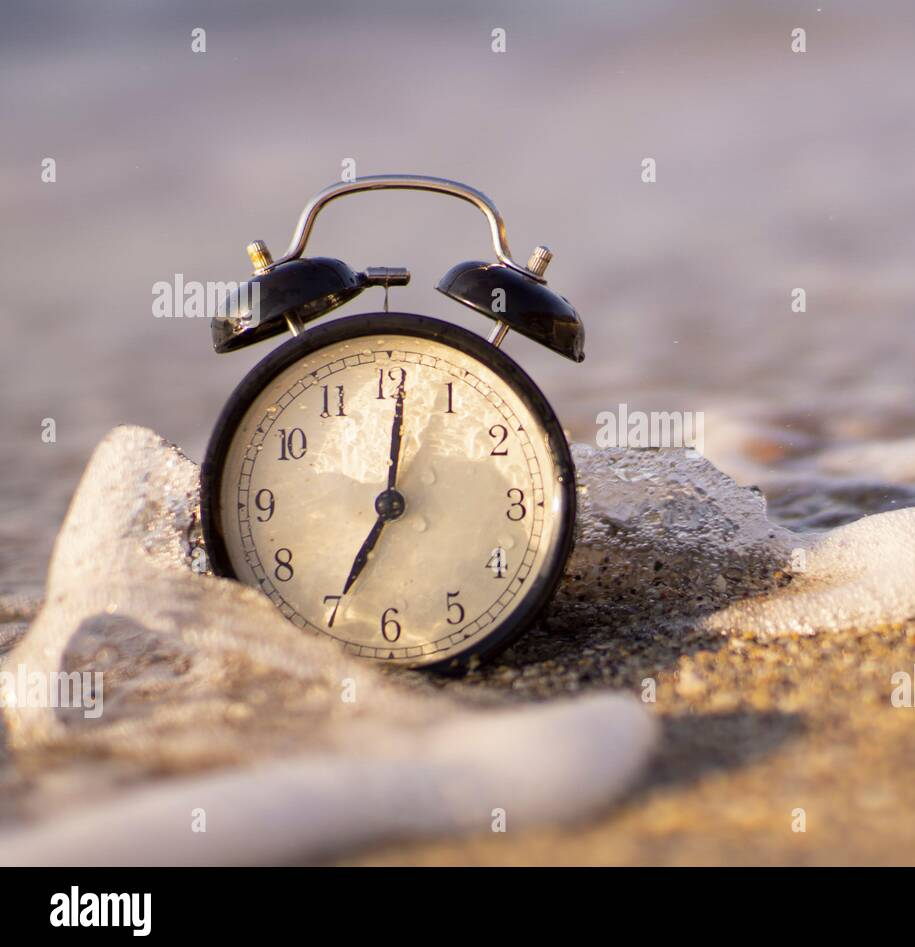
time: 7:01
